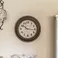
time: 10:15
